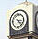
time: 3:22
